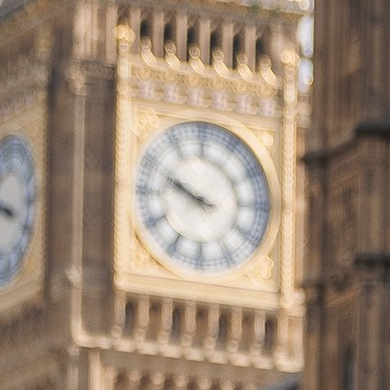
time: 9:48
